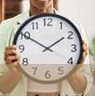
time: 1:50
